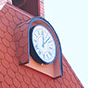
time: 12:07
